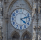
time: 4:12
